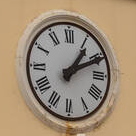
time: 1:10
